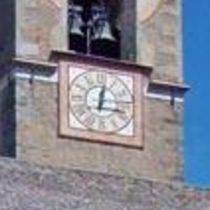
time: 12:16
